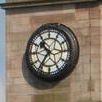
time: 10:35
